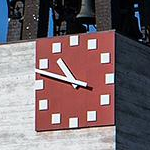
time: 10:47
